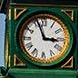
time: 2:56
